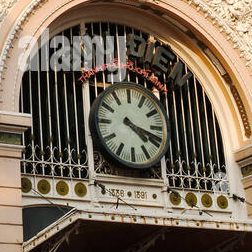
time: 4:18
